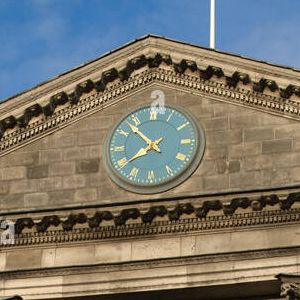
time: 7:52
